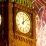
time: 12:07
